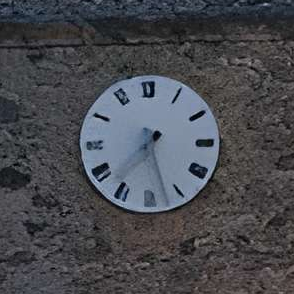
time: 7:27
